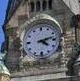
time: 4:12
